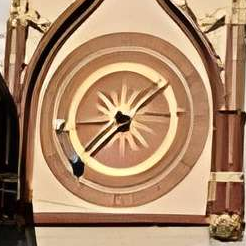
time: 1:37
